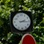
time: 2:15
